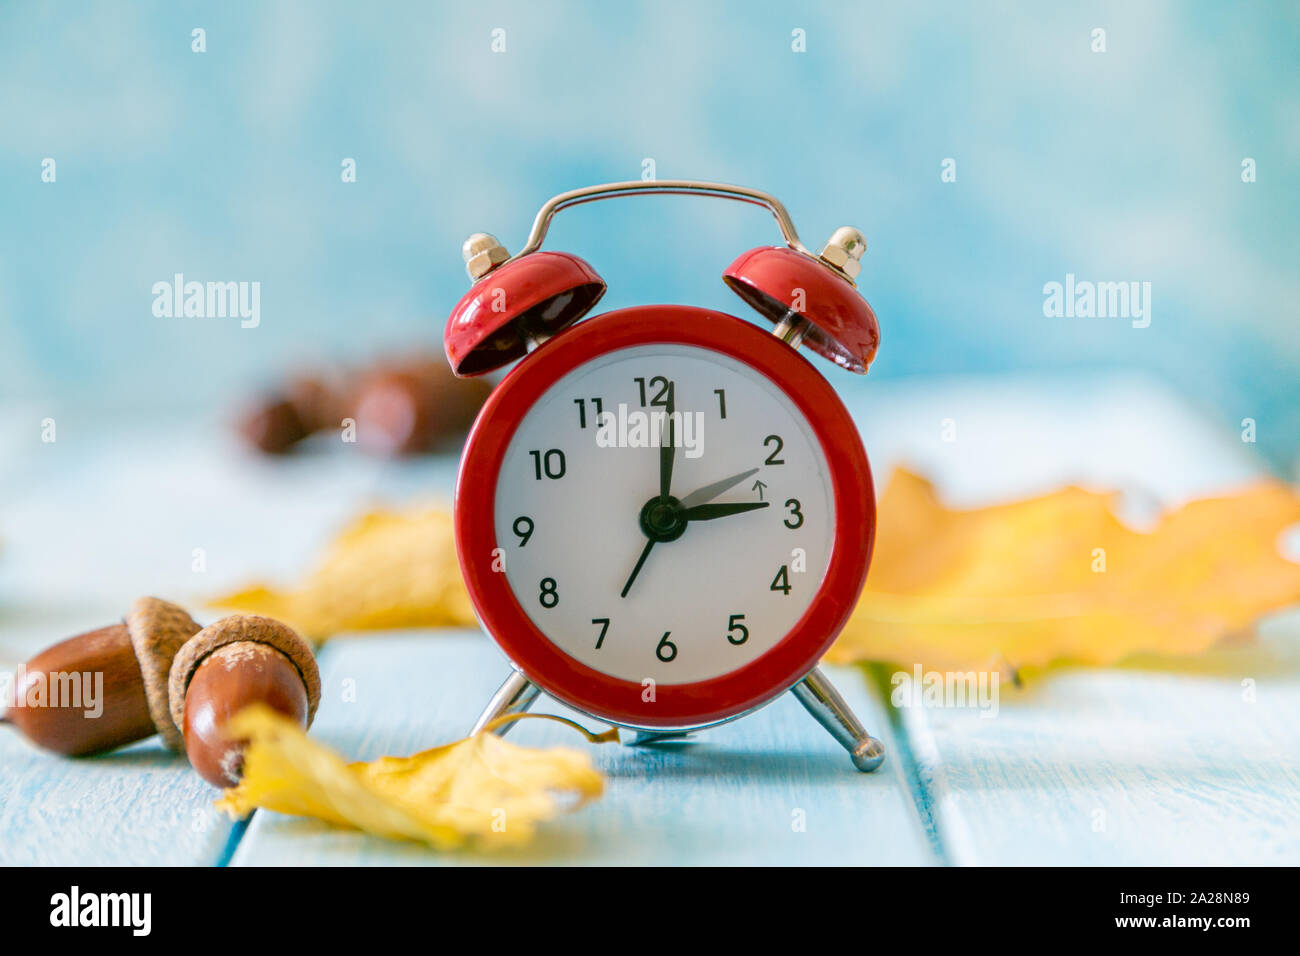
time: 3:01
